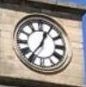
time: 12:36
